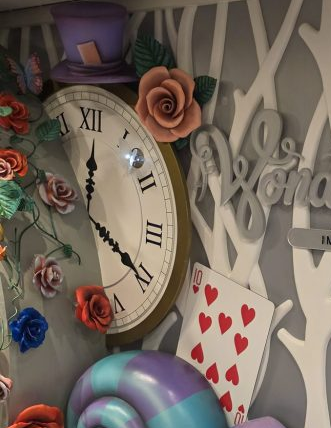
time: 12:20
